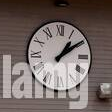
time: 1:09
